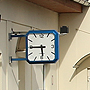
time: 5:44
